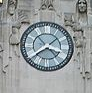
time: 3:39
